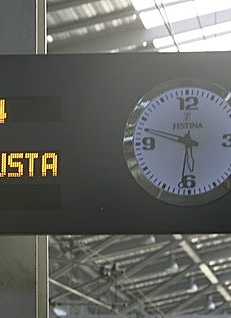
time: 9:31
